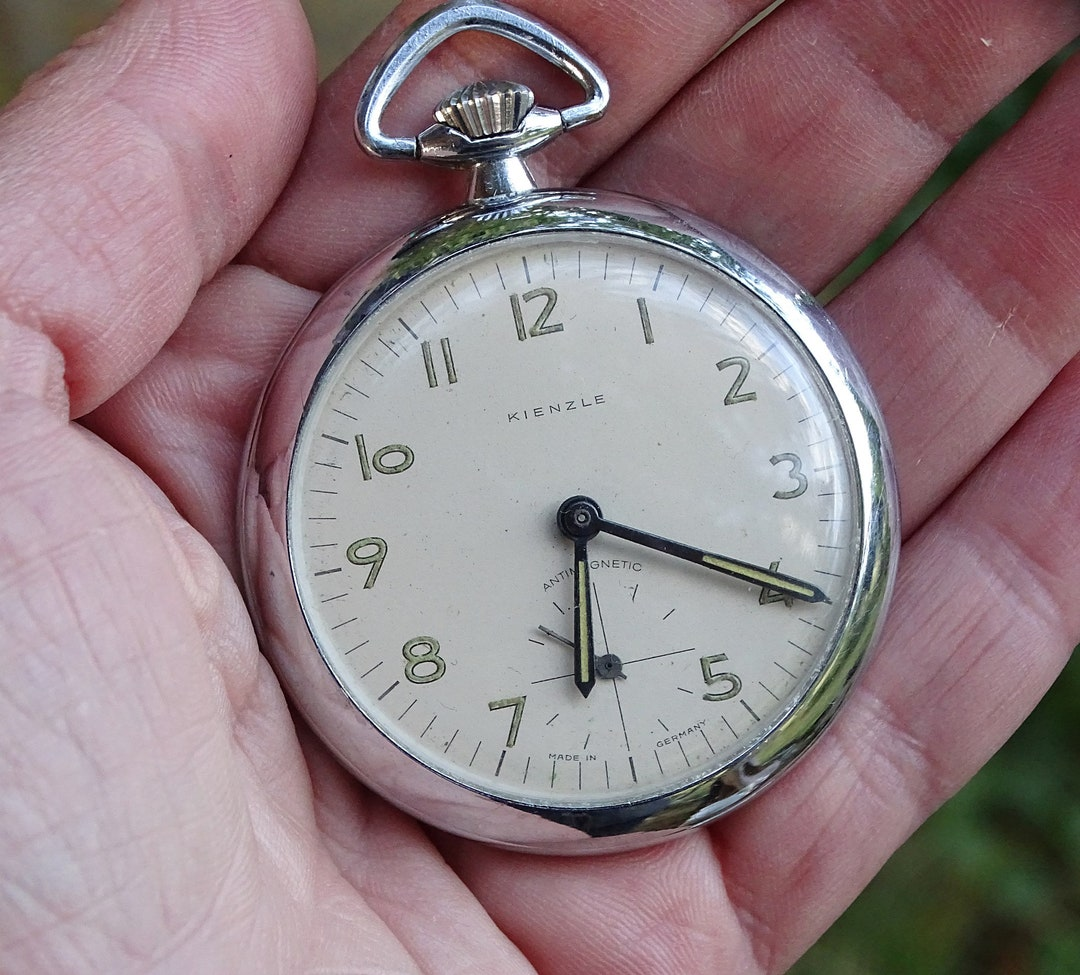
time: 6:20
